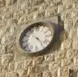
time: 4:23
